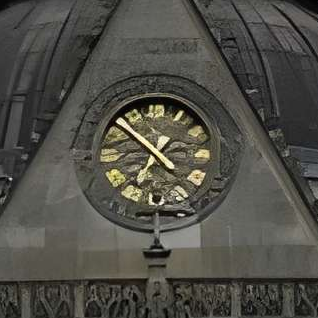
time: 6:51
